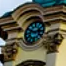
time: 2:48
